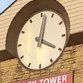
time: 4:02
